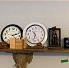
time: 6:25
